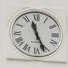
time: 11:26
